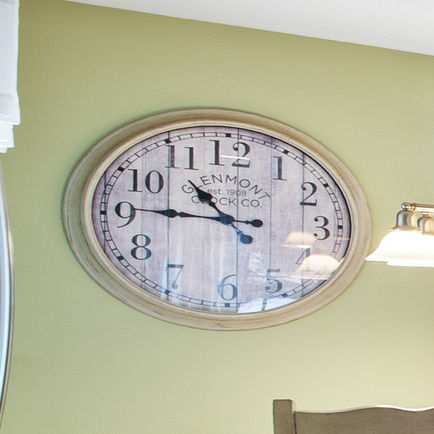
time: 10:45
